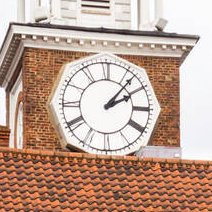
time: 2:06
